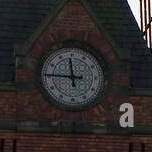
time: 11:45
